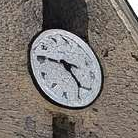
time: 4:46
